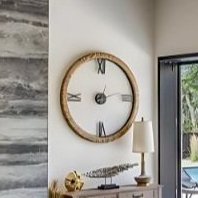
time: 12:13
